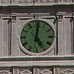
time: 5:01
